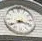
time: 3:39
